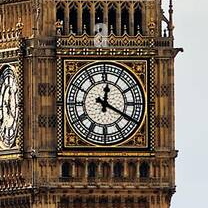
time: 12:19
